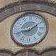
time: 1:42
